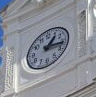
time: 1:16
